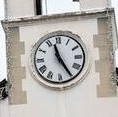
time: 11:25
